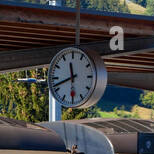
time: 11:41
